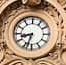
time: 8:32
